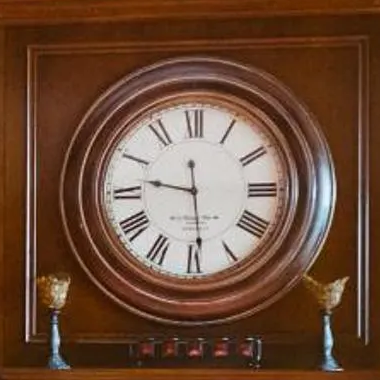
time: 9:28
